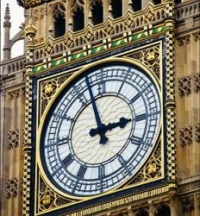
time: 2:57
